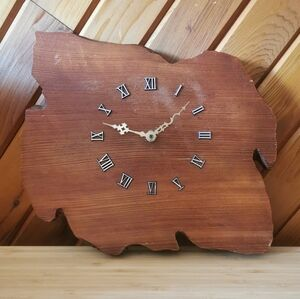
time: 1:47
